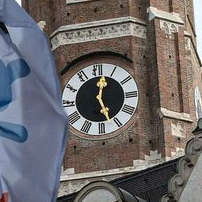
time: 12:26
